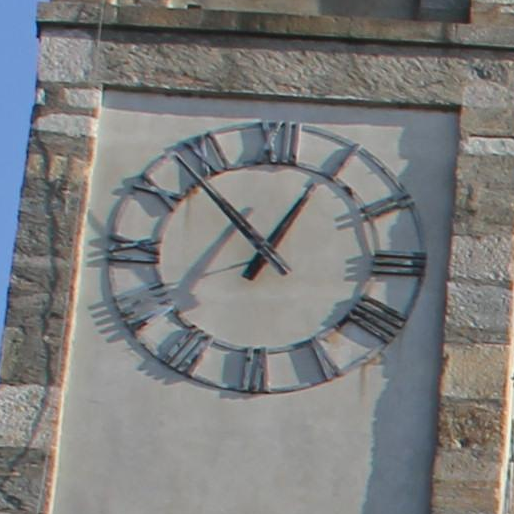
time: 12:53
